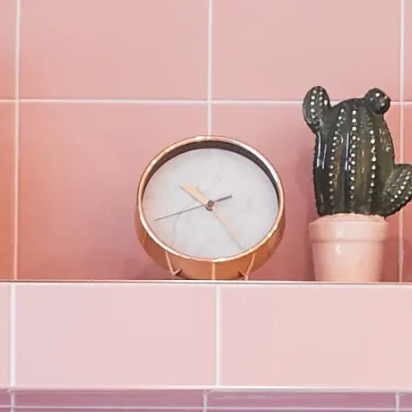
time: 10:24
